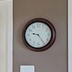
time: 9:24
